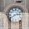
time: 2:40
